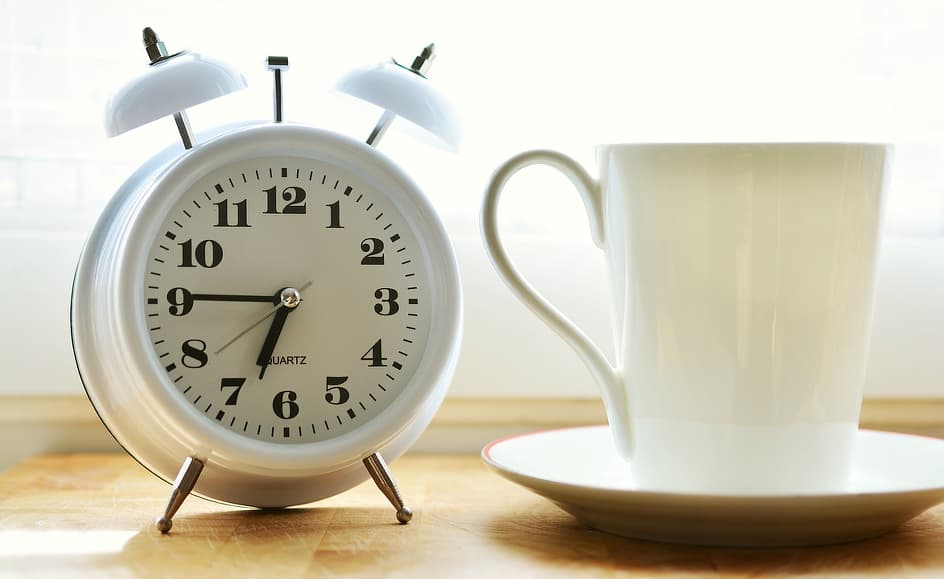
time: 6:45
